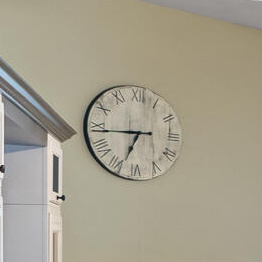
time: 6:44
